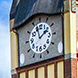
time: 1:56
